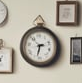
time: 2:32
